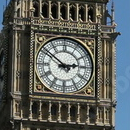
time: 2:51
